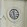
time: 11:28
